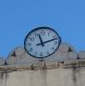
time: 11:12
